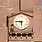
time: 5:45
